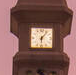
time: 6:06
